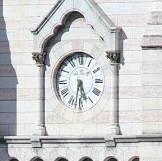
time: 5:31
